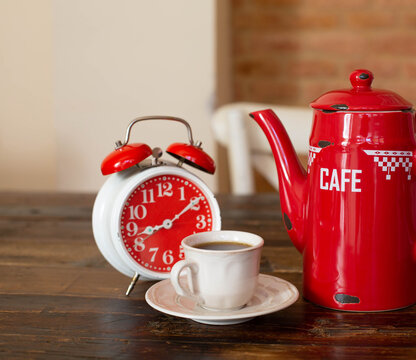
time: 8:09
